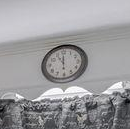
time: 11:00
